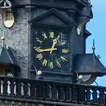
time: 12:43
